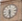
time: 6:28
